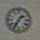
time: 1:35
